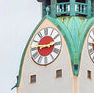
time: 2:46
